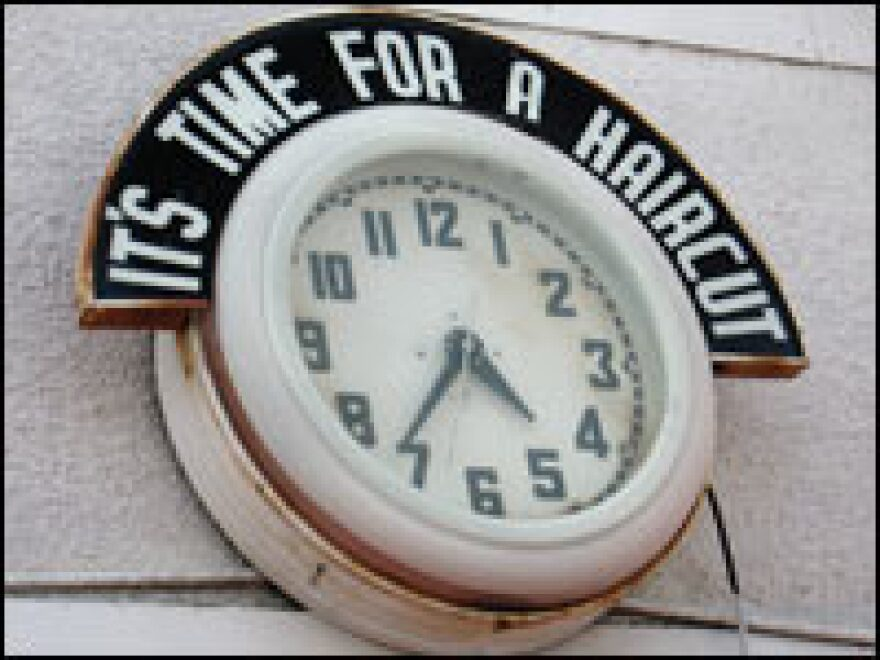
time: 4:36
